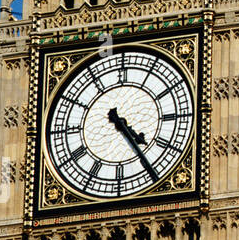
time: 4:24
